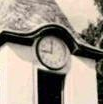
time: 9:01
